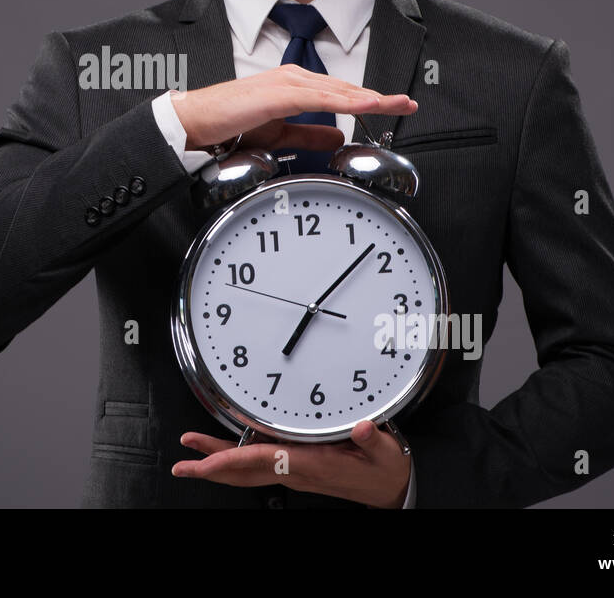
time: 7:07
